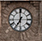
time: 6:59
